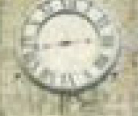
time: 2:42
